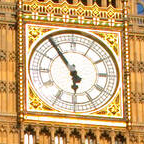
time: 5:54
